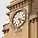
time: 5:18
